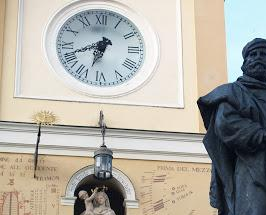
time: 6:41
